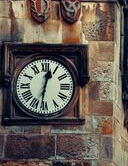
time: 12:31
